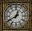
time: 12:40
